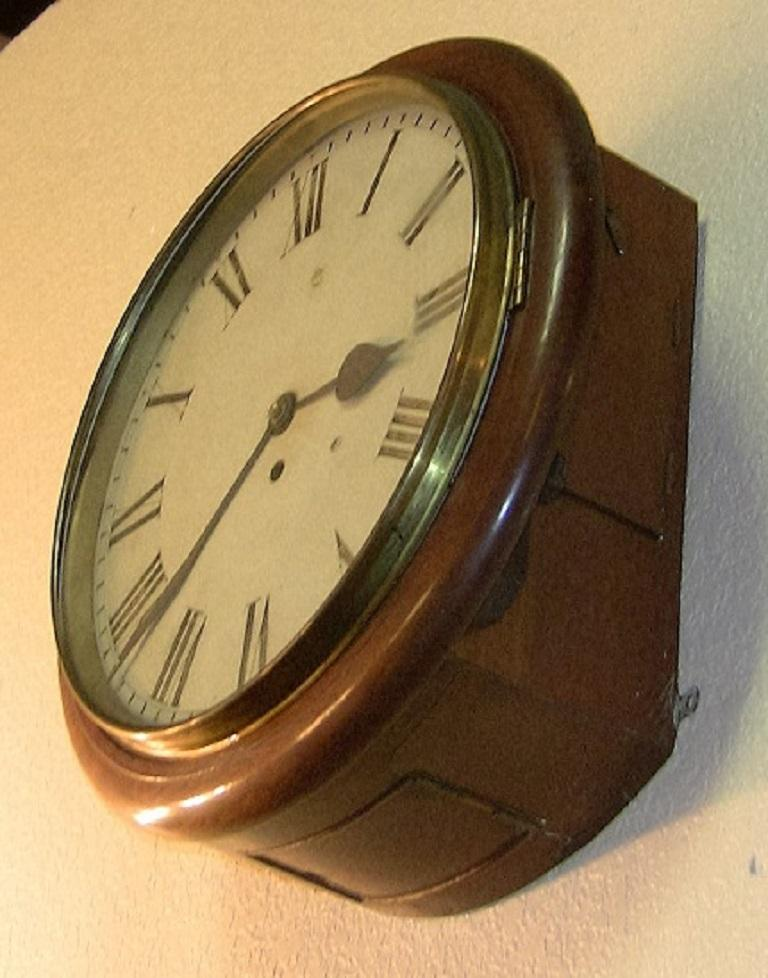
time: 2:38
